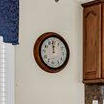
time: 11:58
